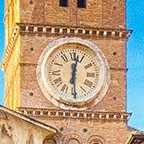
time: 12:29
